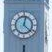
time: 12:22
